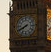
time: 7:40
